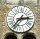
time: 2:36
